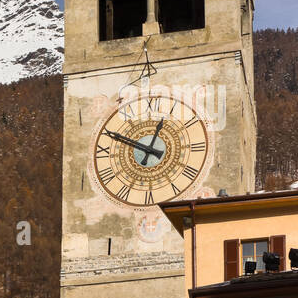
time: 12:49
